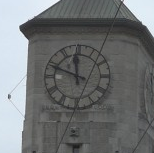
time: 11:48
